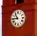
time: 10:45
